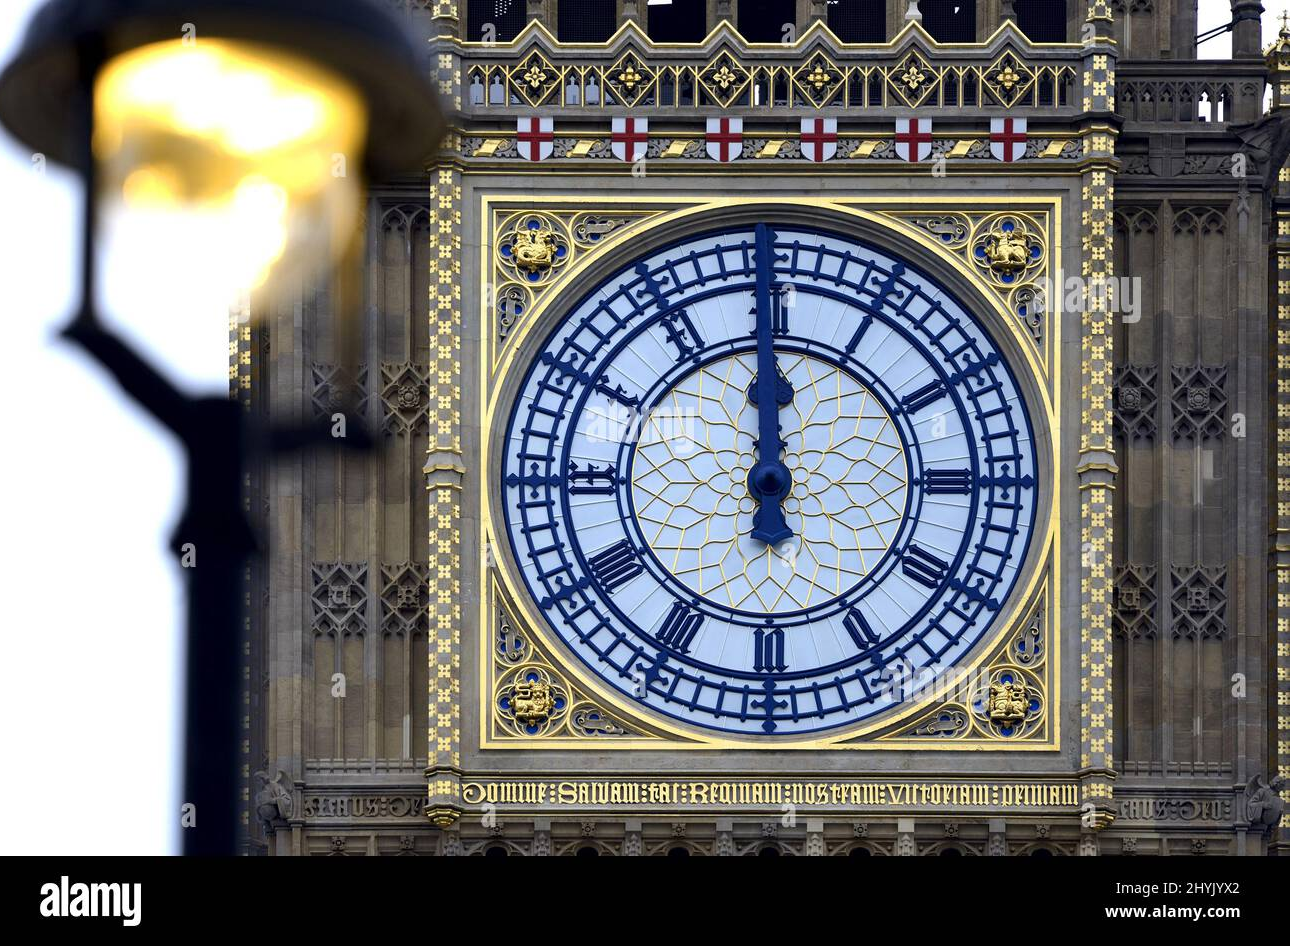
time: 11:59
